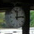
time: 12:13
